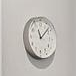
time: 11:07
